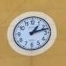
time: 1:12
